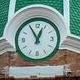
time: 12:55
